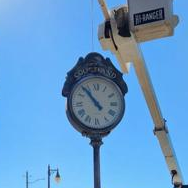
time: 10:53
